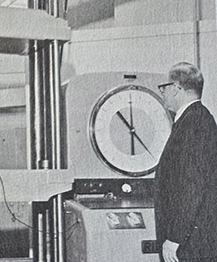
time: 10:28
